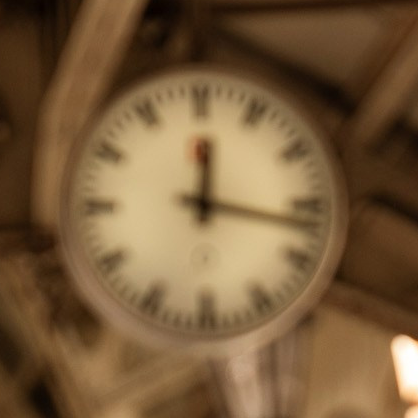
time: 12:17
